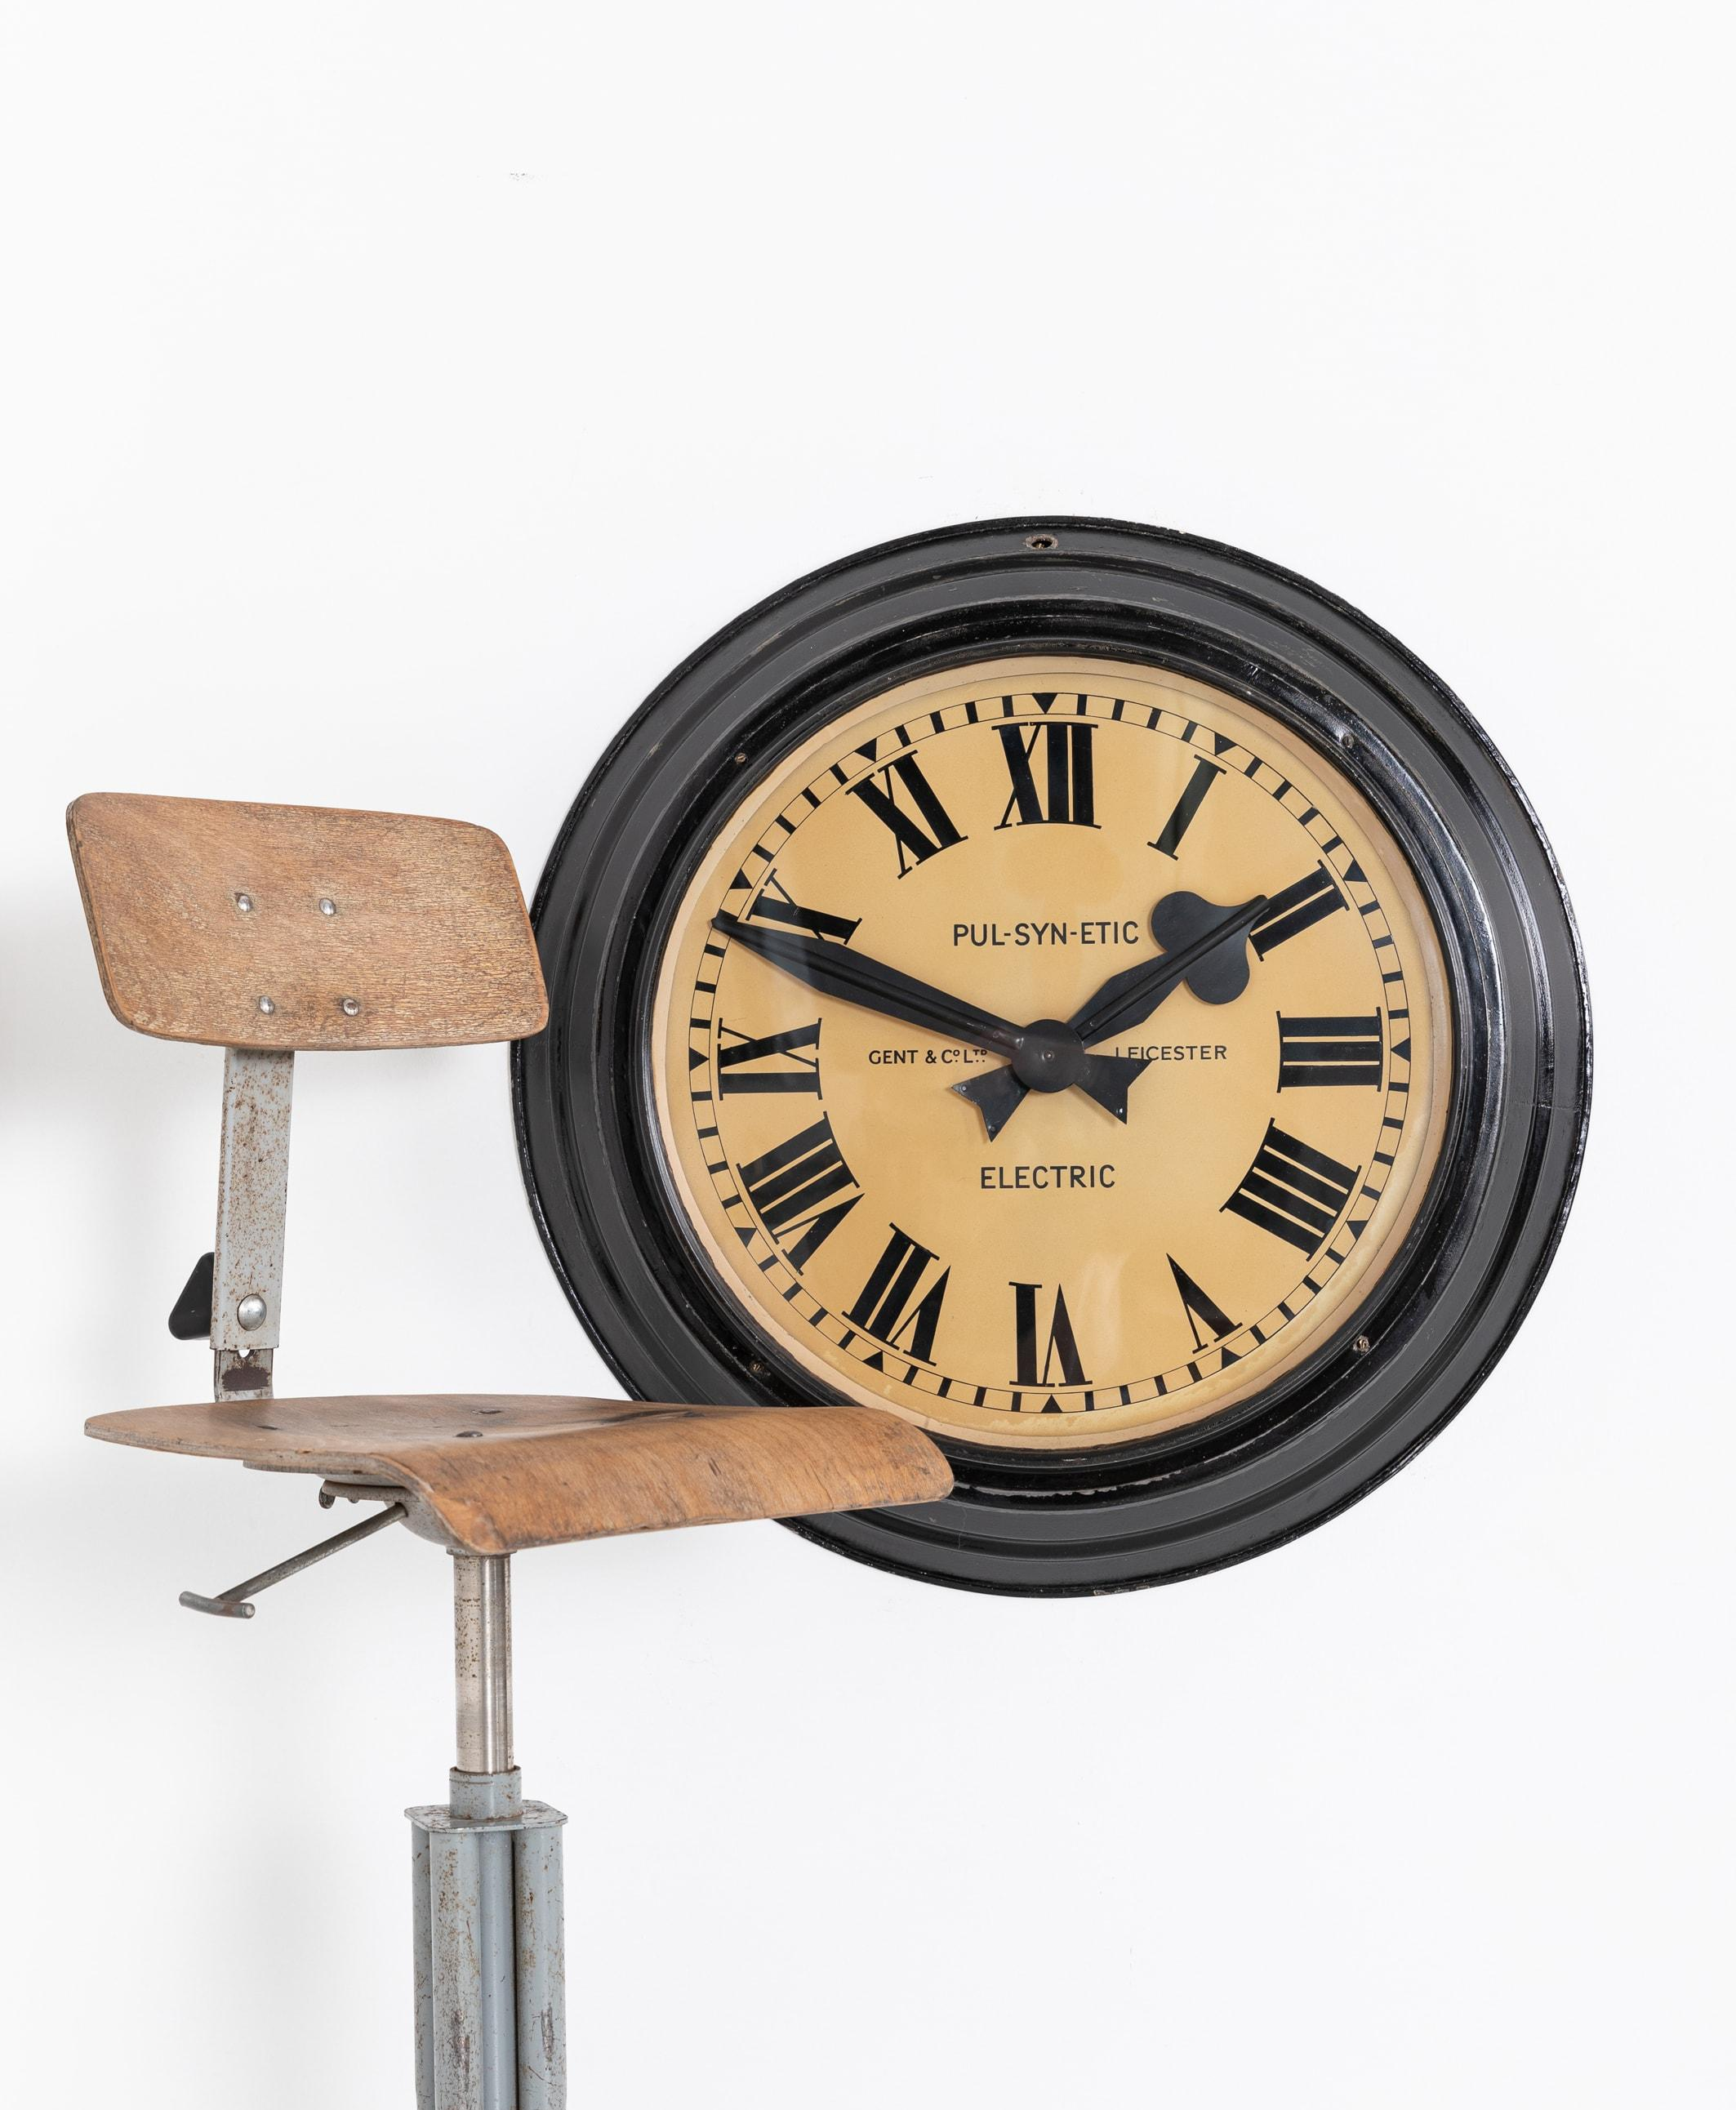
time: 1:48
